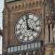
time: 3:58
